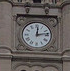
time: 12:13
